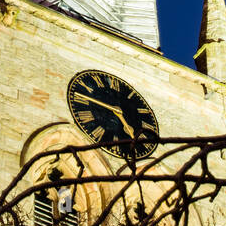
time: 4:46
